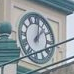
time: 12:07
